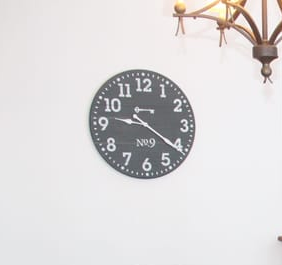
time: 9:21
